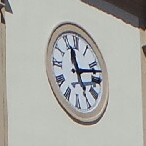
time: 11:12
